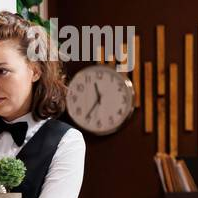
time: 11:35
